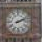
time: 2:11
